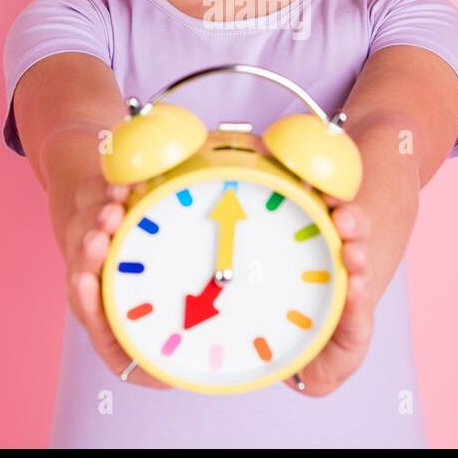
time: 7:00
